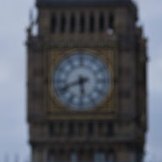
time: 5:41
